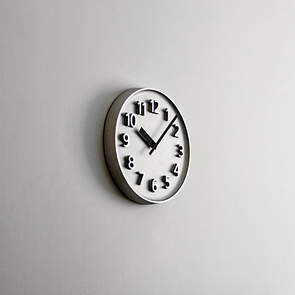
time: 10:07
